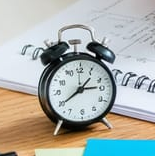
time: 2:39
